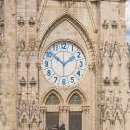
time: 1:51
